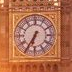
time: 6:35
